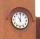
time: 11:00
